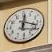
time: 12:18
